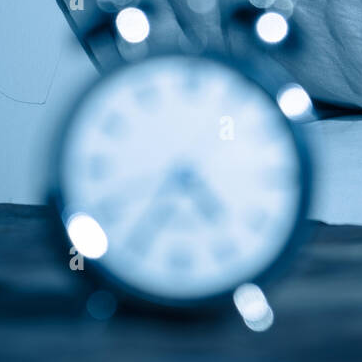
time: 4:35
